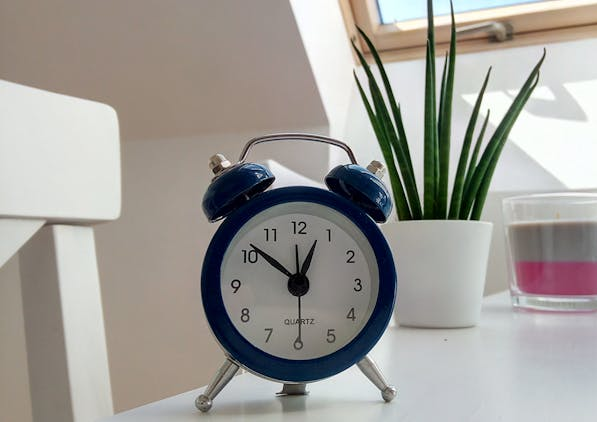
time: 12:51
